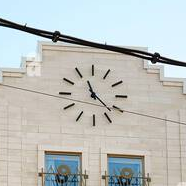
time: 11:22
